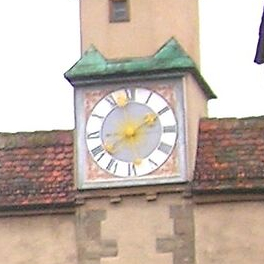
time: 2:09
